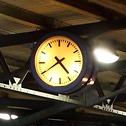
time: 4:39
